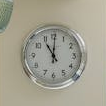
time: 11:00
